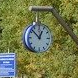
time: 12:52
